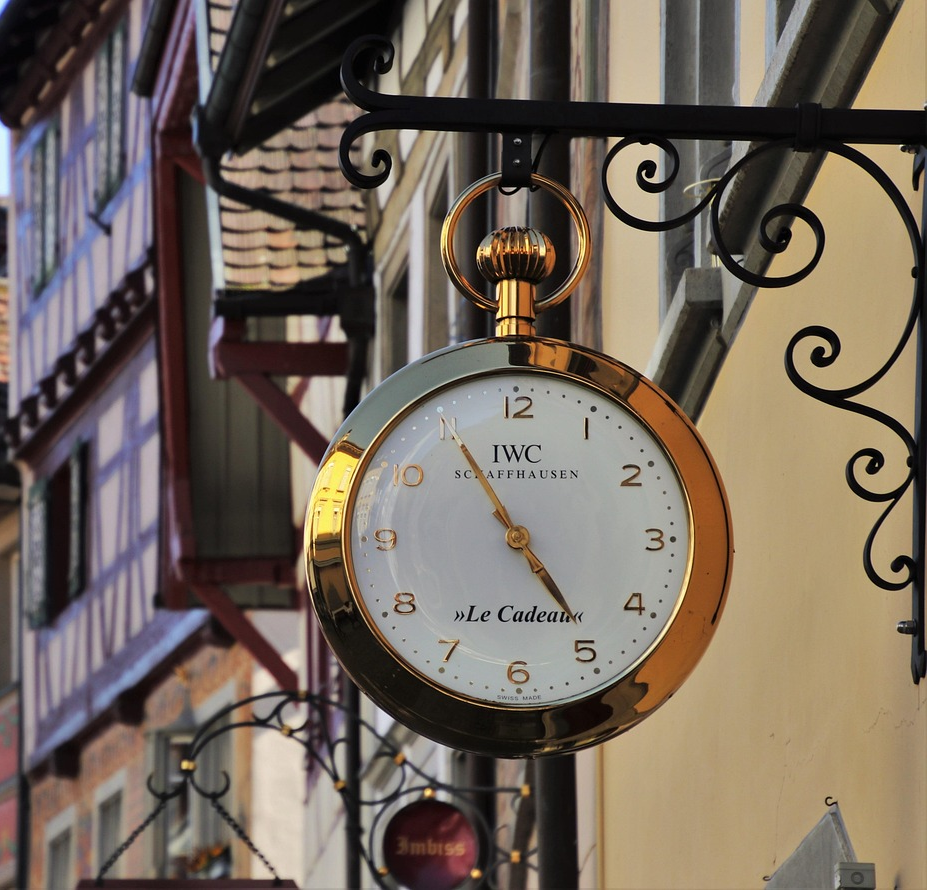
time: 4:55
